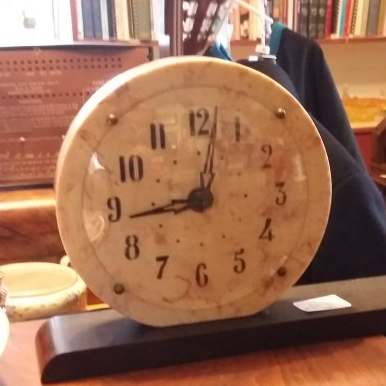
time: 9:02
